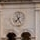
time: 7:25
